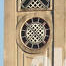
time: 10:22
